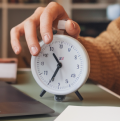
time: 10:34
